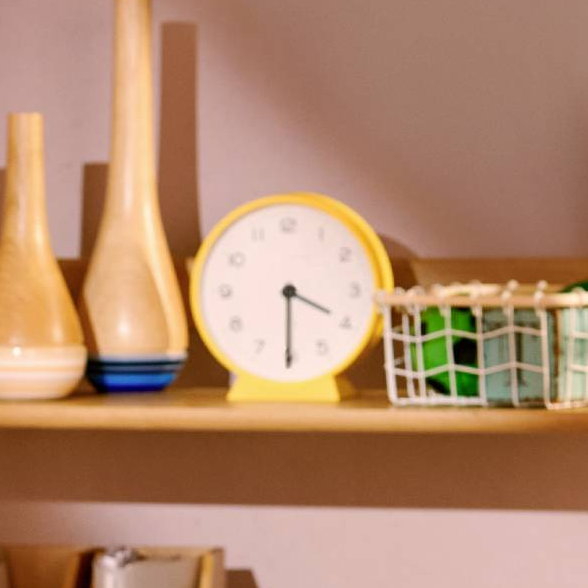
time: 3:30
